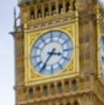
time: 3:36
